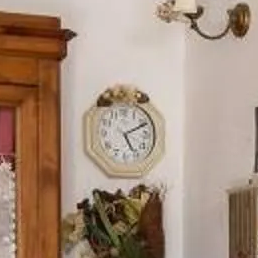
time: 5:11
